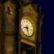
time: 8:27
